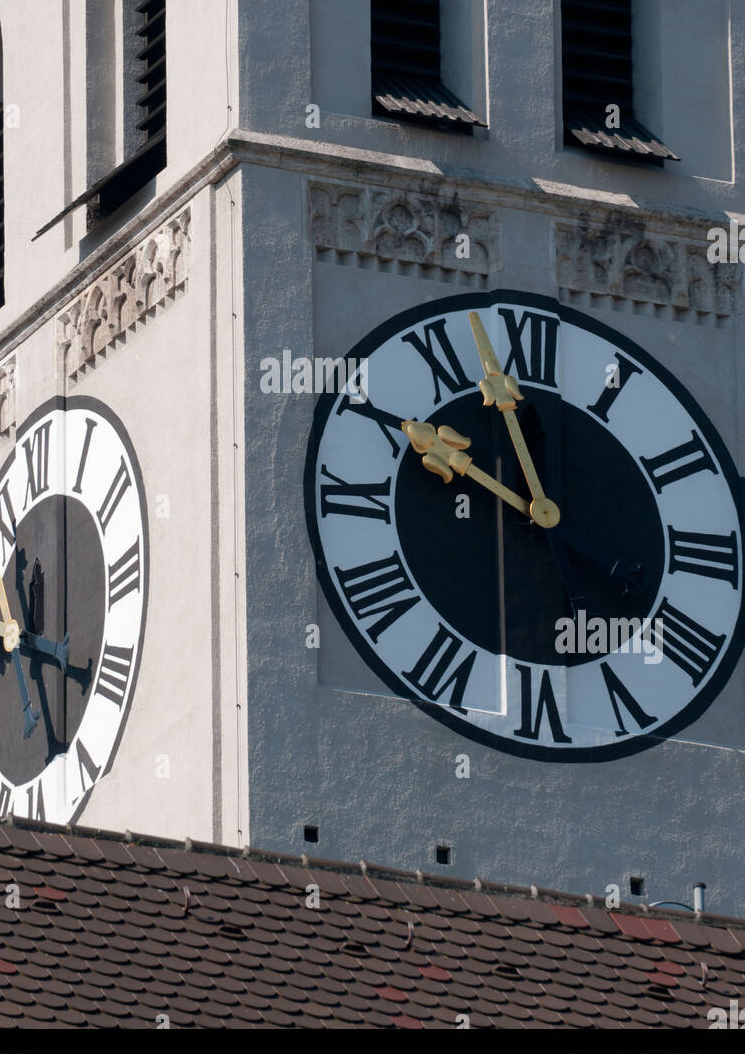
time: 9:57
